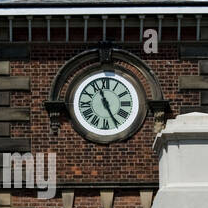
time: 11:25
